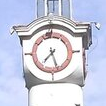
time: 7:27
